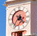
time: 7:22
